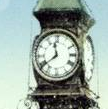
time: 11:39
